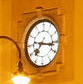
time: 7:16
